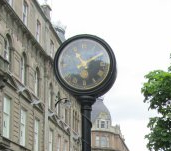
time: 11:09
